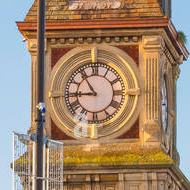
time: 8:54
